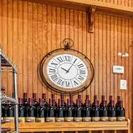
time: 10:05
